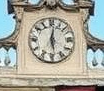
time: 12:28
